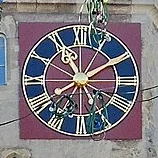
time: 11:09
